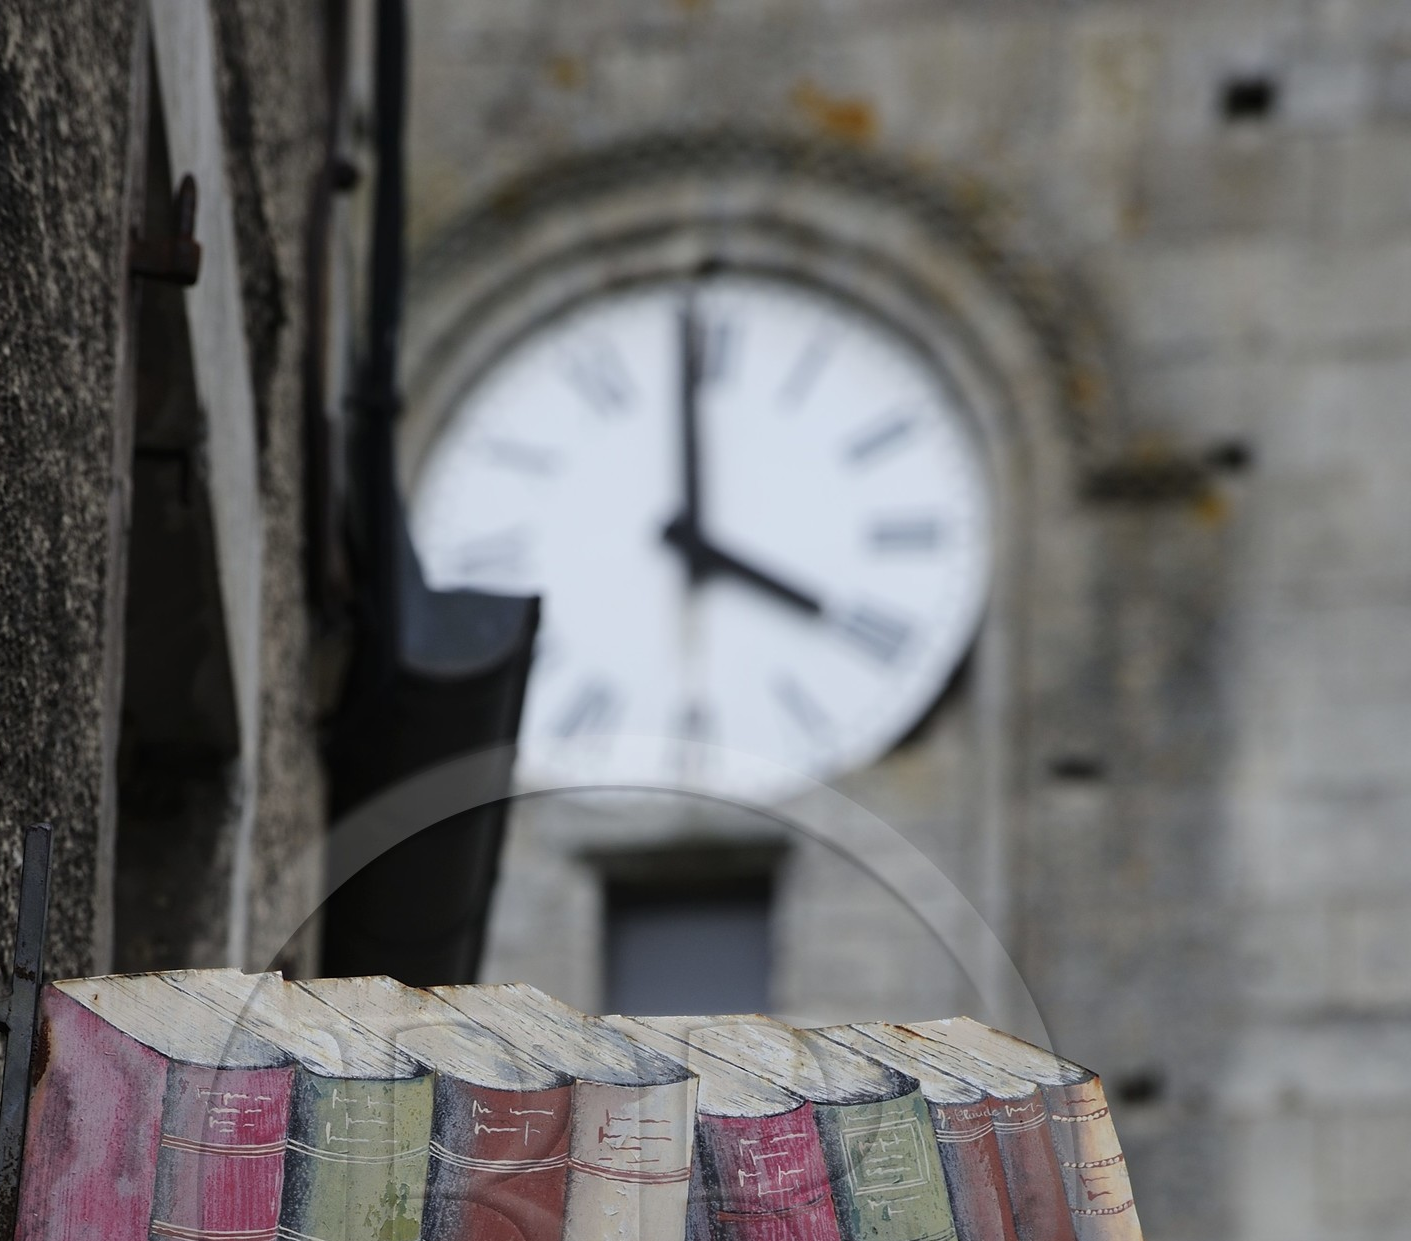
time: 3:59
